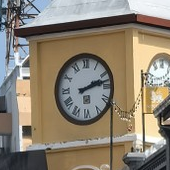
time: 2:12
